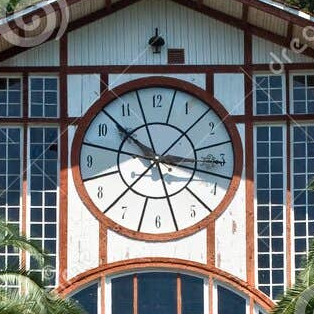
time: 10:17
